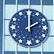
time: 2:00
